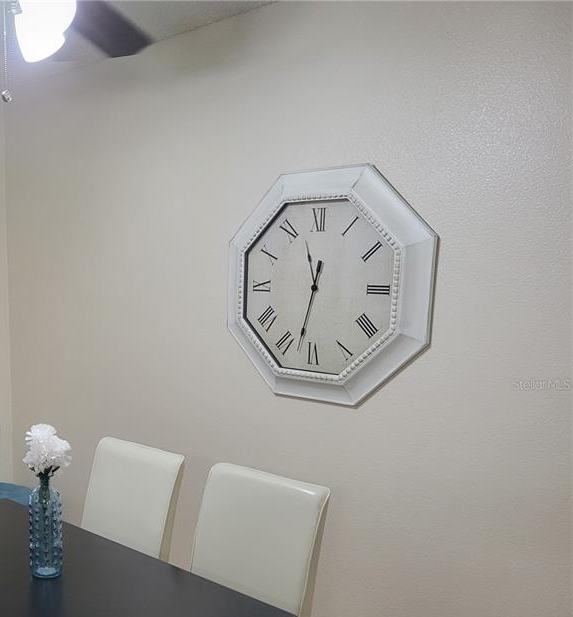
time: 11:32
